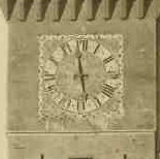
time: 5:59
